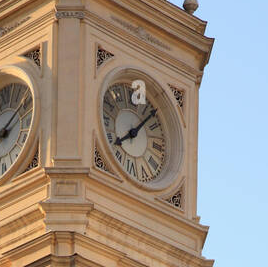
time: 8:07
